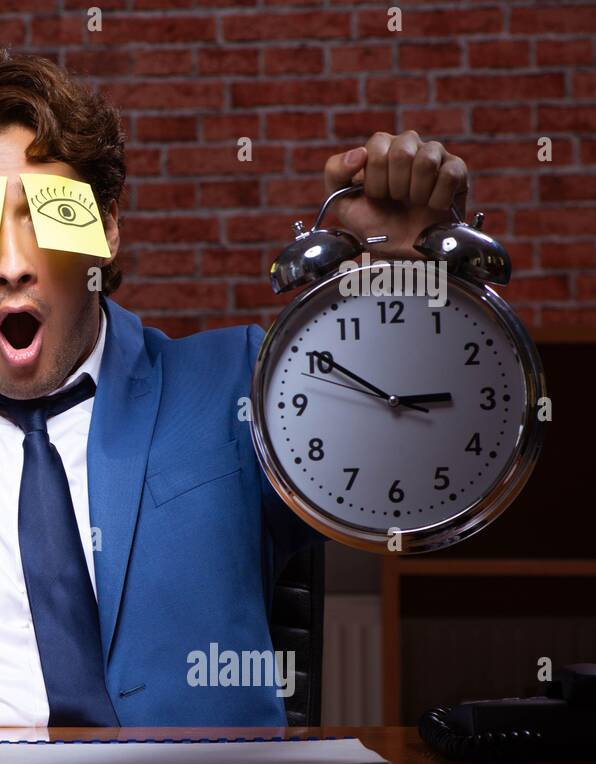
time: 2:50
